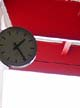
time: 1:24
